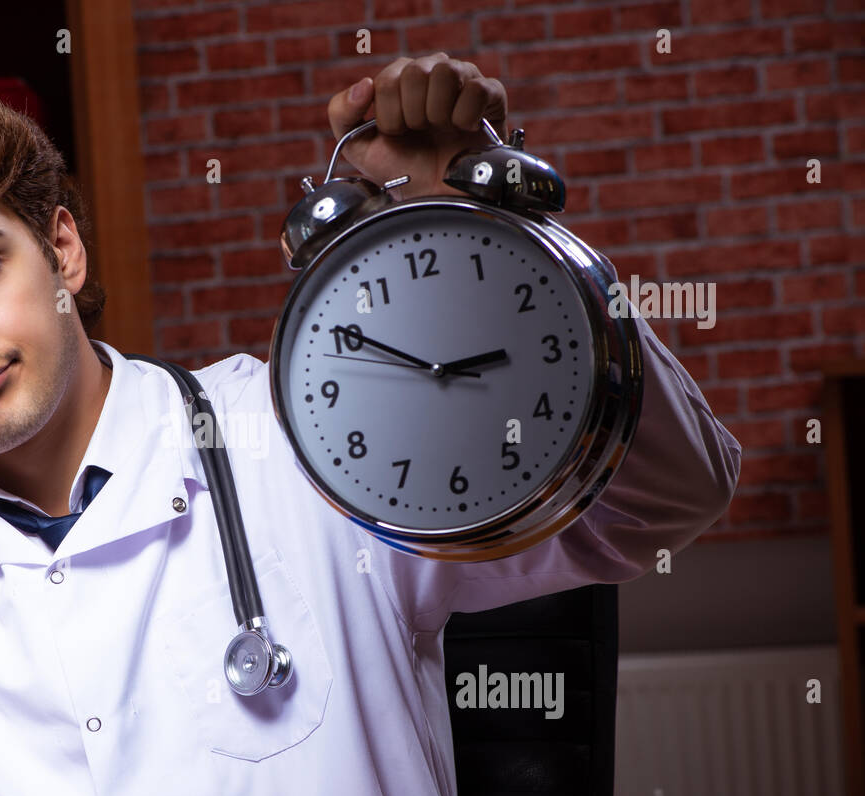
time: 2:50
